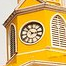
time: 2:53
